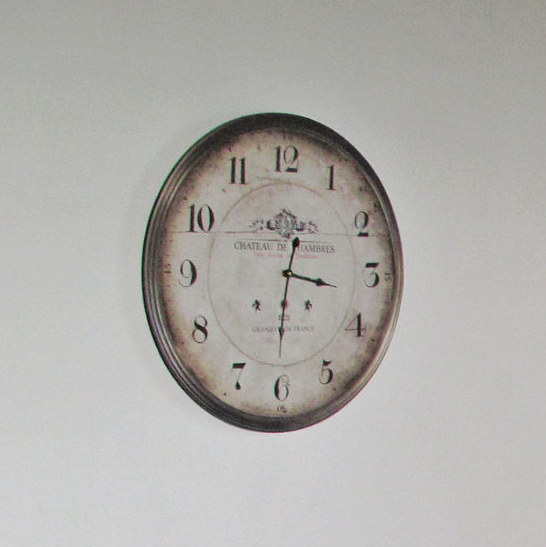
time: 3:31
